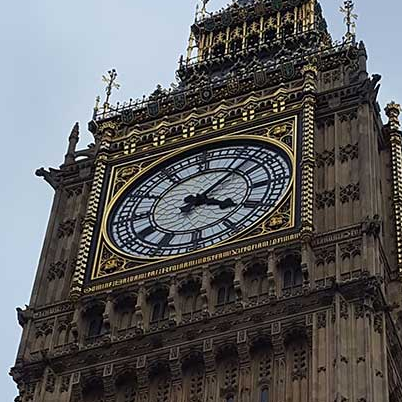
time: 4:07
